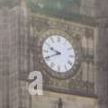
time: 9:41
